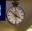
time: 3:51
